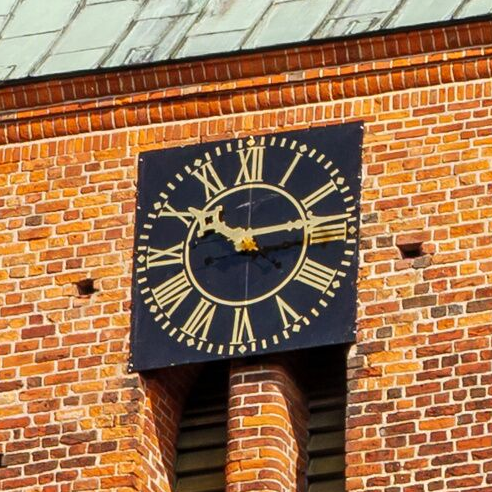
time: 10:13
